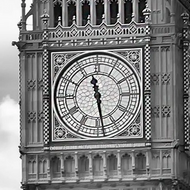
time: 11:28
